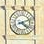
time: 4:11
